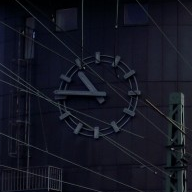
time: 10:45
